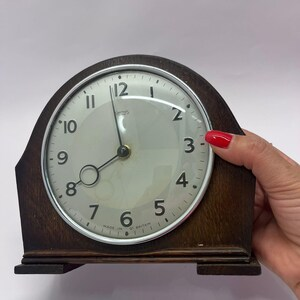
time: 7:58
